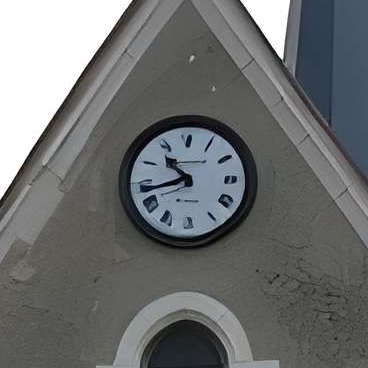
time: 10:42
